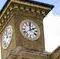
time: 2:00
